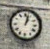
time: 1:02
